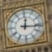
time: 12:16
